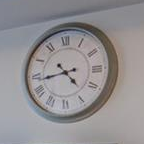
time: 4:43
